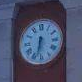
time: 6:32
